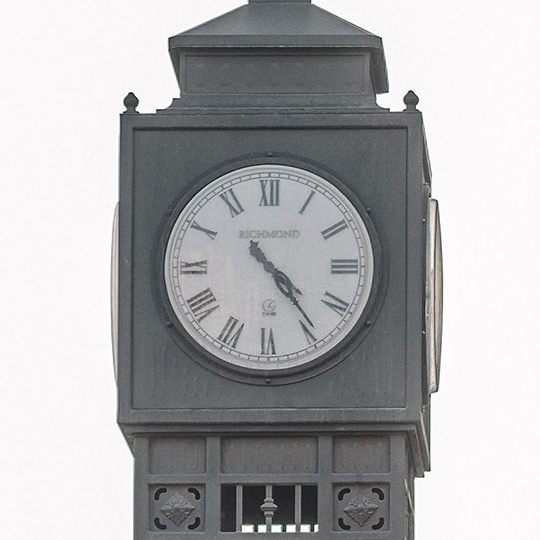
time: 4:23
